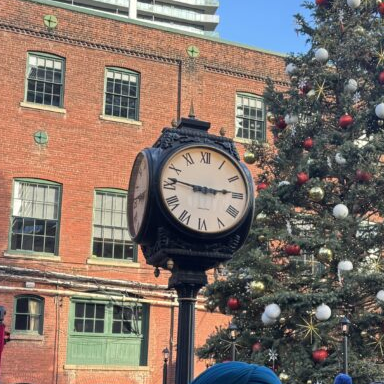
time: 2:46
